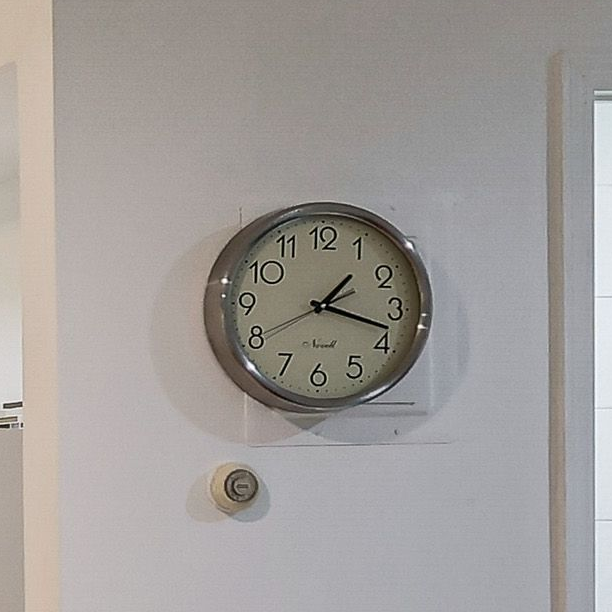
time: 1:18
